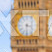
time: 3:31
